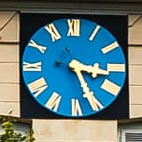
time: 3:25
